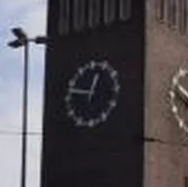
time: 12:47
